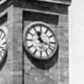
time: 11:17
